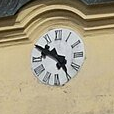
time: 4:49
